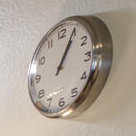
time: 1:04
